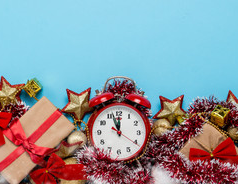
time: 11:56
